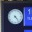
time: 4:23
